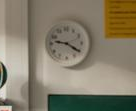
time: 9:20
